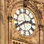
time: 2:40
